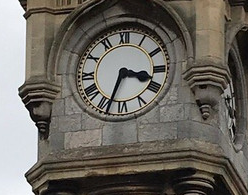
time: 3:33
